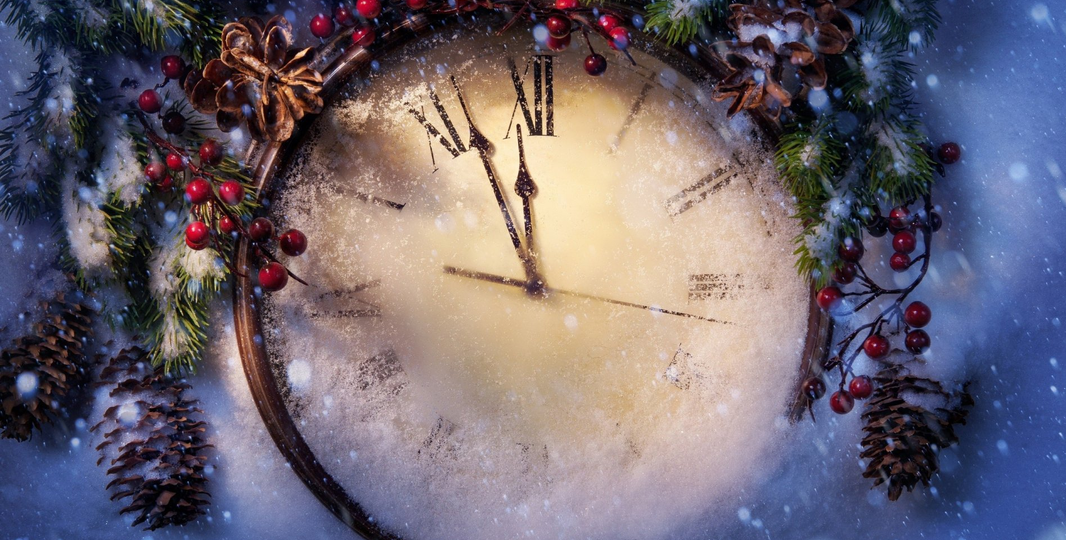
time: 11:56
